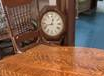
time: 12:42
